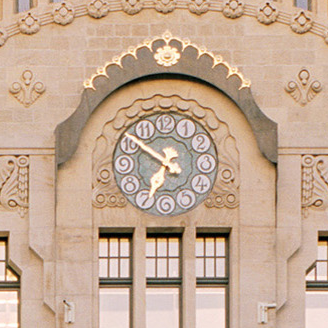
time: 6:51
